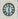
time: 12:28
